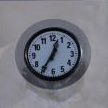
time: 12:35
